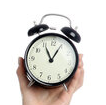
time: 11:04
